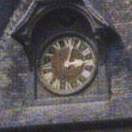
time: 3:02
